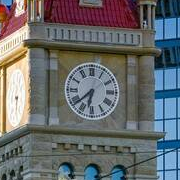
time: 6:38
